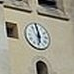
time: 5:59
